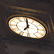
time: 7:00
